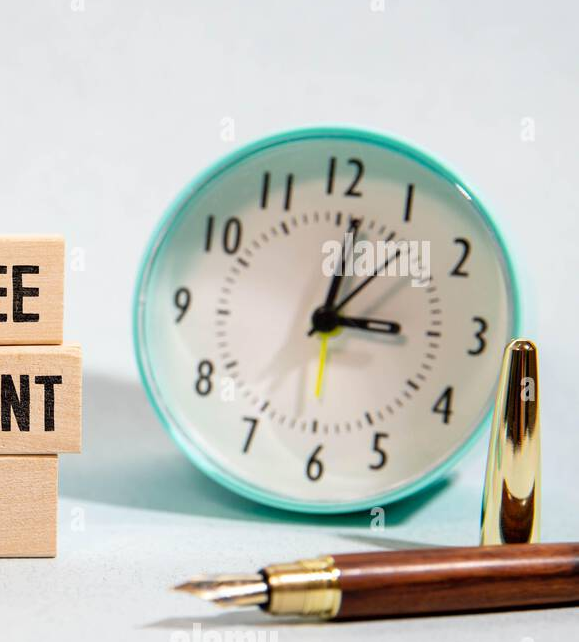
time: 3:01
